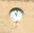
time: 11:02
